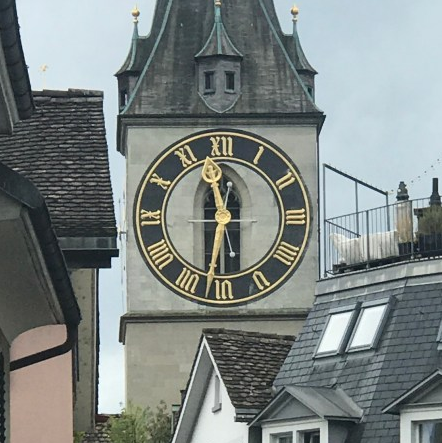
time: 11:32
